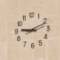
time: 9:11
